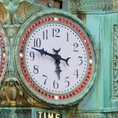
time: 5:47
